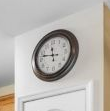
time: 11:47
